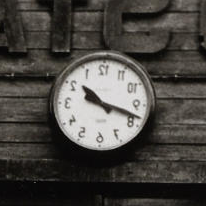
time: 10:18
